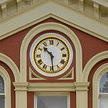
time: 10:29
